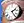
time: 2:23
